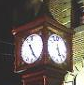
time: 11:25
